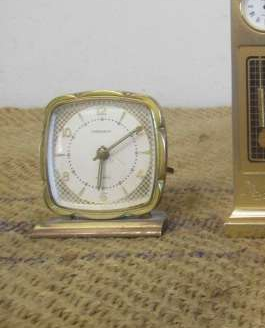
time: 6:09
